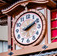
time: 2:09
